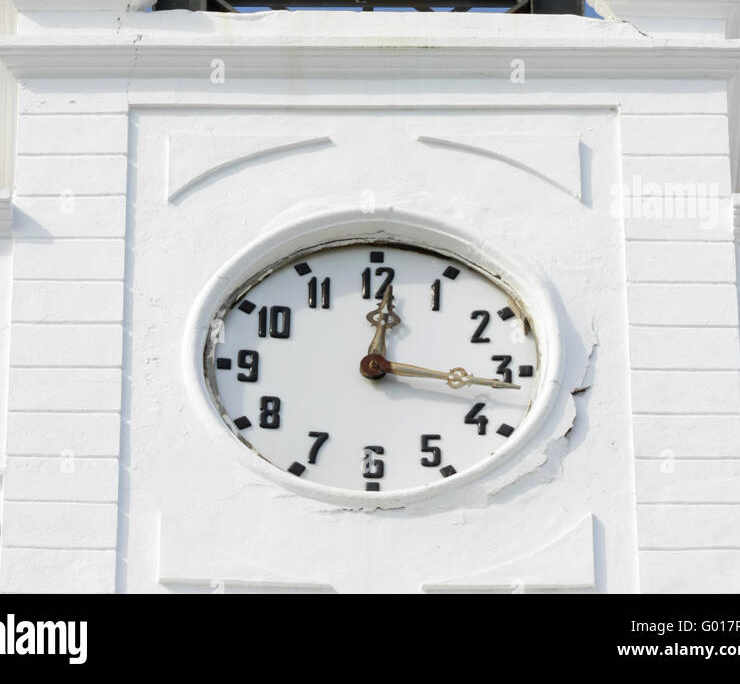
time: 12:16
